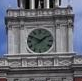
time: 1:50
